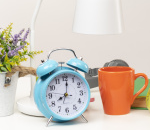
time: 8:01
